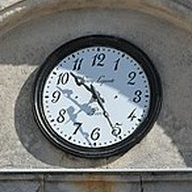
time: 7:25
